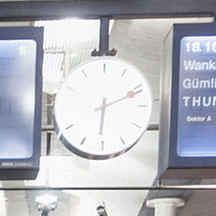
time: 6:11
